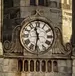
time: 11:32
